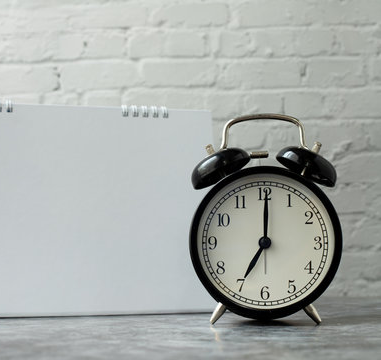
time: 7:00
